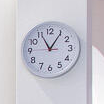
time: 11:05
